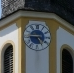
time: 4:45
